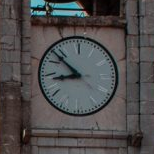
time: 8:52
